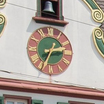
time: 2:34
